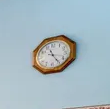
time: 11:24
